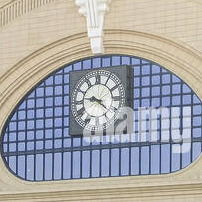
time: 9:22
